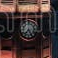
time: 7:25
